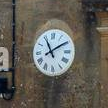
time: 11:09
